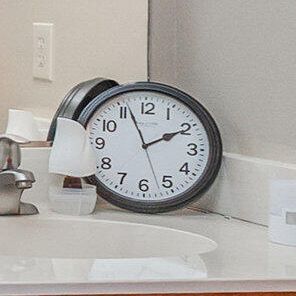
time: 1:56
